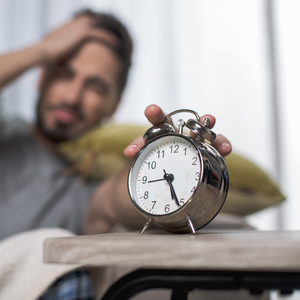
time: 5:26
